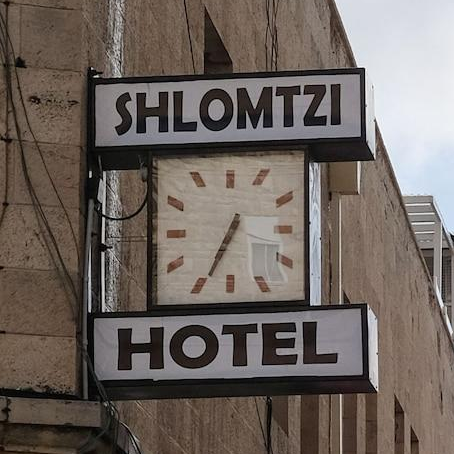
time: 6:34
